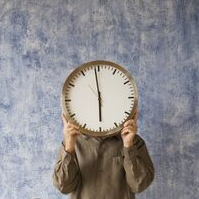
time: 5:58
